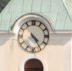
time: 4:24
